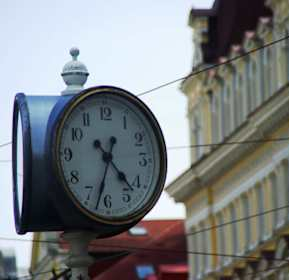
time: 4:32
